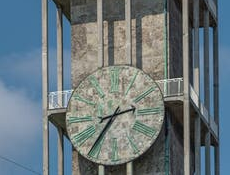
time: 2:36
